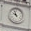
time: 9:56
